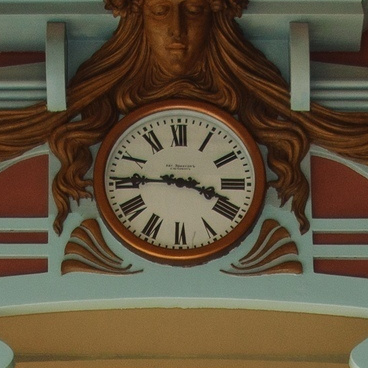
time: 3:45
